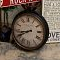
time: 8:40
